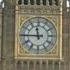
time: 11:45
